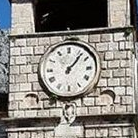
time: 1:06
